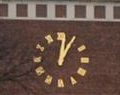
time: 1:01
